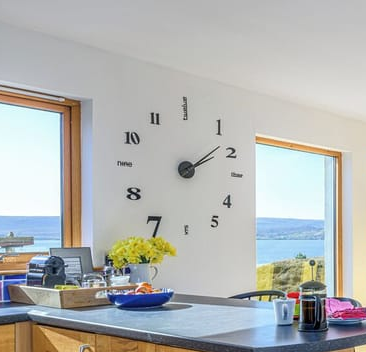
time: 2:08
